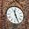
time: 11:25
